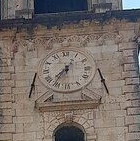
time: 7:36
